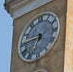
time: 6:45
